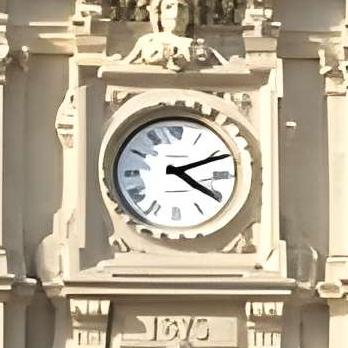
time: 4:11
